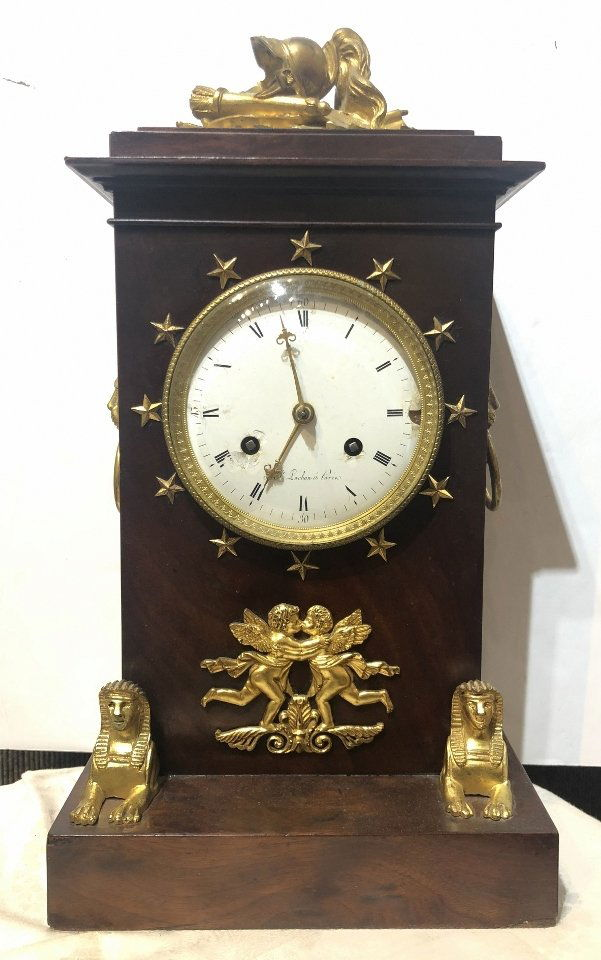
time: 11:35
